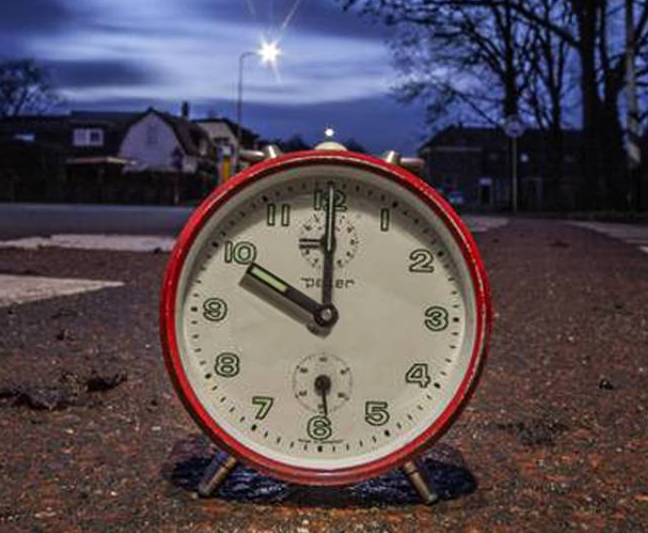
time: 10:00
